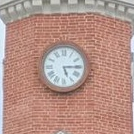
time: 5:14
